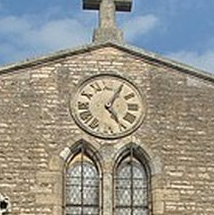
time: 5:05
